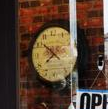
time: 7:51
